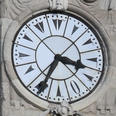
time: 3:34
